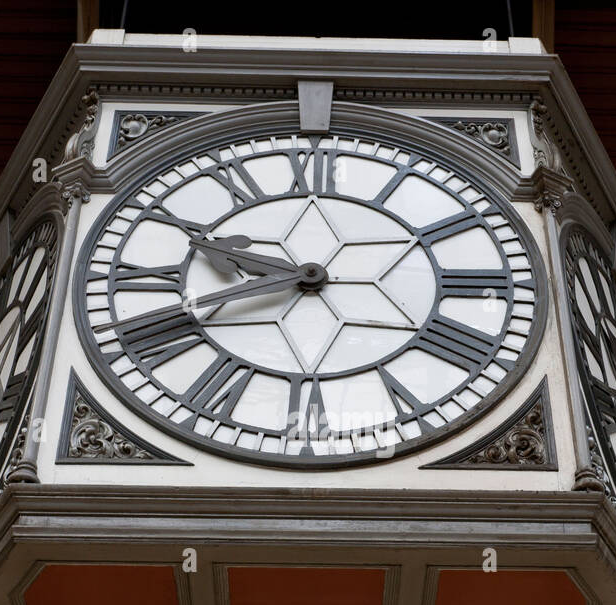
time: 9:42
